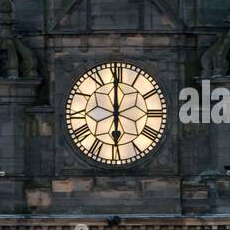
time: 5:59
